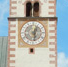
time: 12:28
